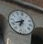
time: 6:41
